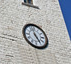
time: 4:57
